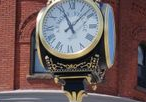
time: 11:07
